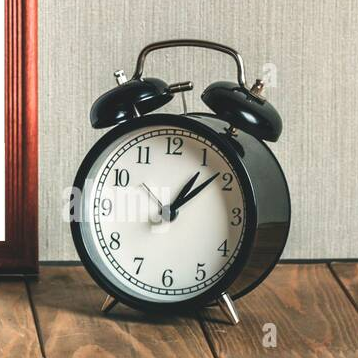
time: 1:08
